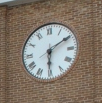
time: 6:09
